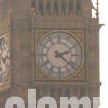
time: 2:21
